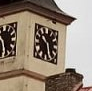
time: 10:26
